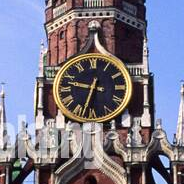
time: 9:33
